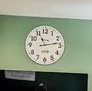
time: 11:13
